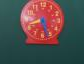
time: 5:26
